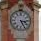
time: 3:25
